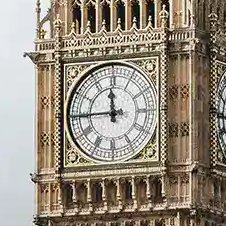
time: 11:44
